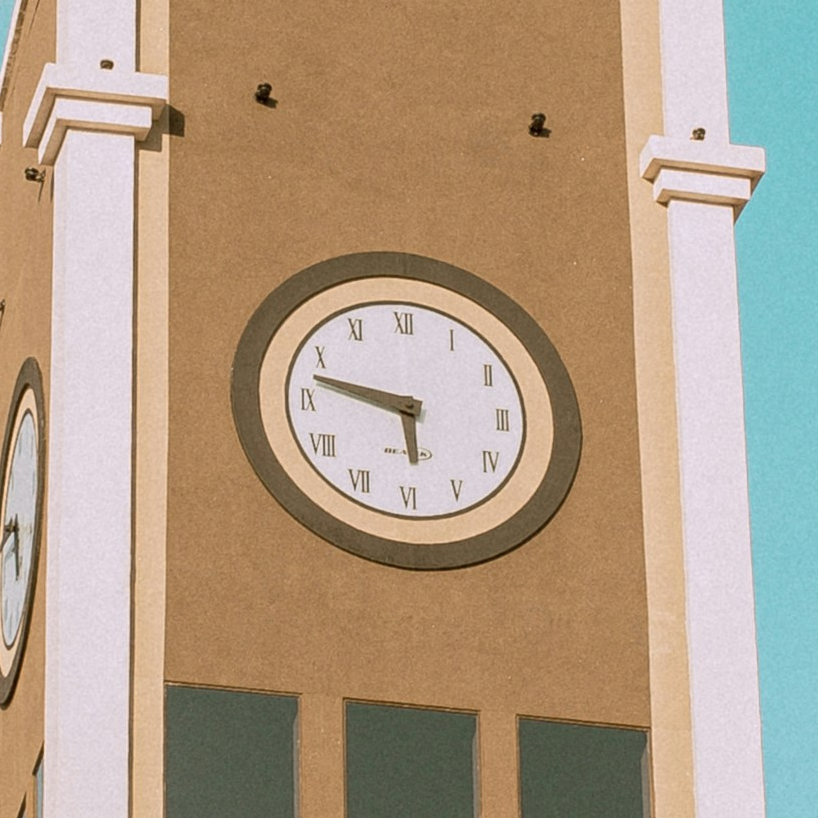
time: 5:47
